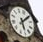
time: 6:10
